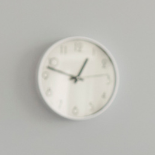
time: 12:47
